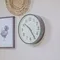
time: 10:24
